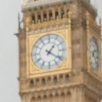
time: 1:20
